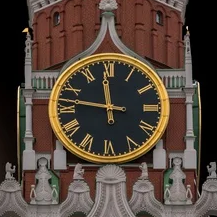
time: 11:46
